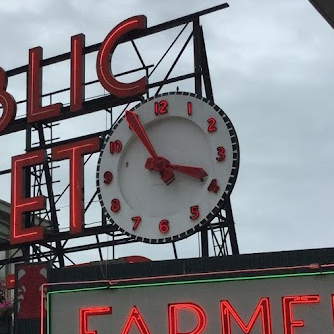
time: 3:54
